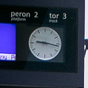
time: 9:16
